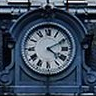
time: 4:10
